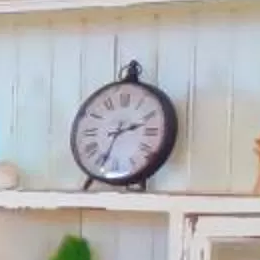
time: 2:33
